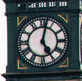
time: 5:02
